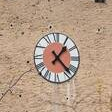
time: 1:22
